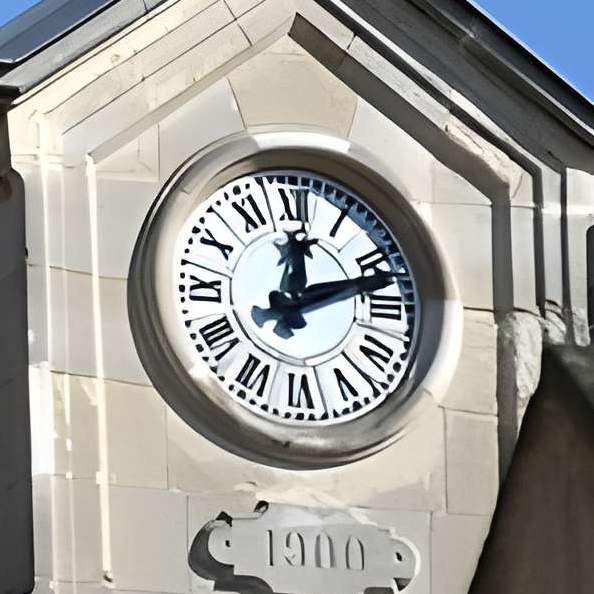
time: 12:11
